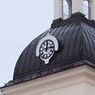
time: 12:14
